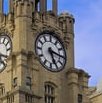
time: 5:15
